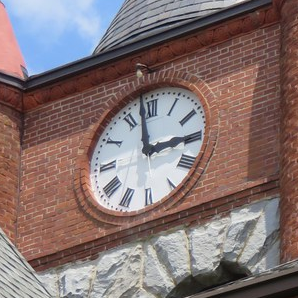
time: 2:58
